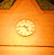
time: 4:46
